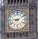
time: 9:10
